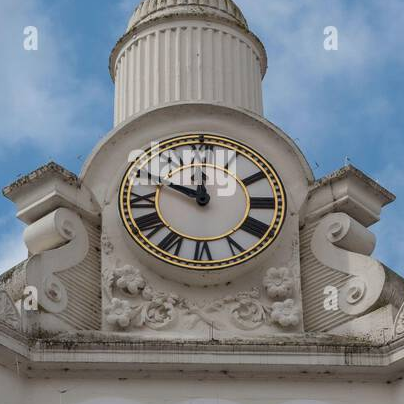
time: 10:00
